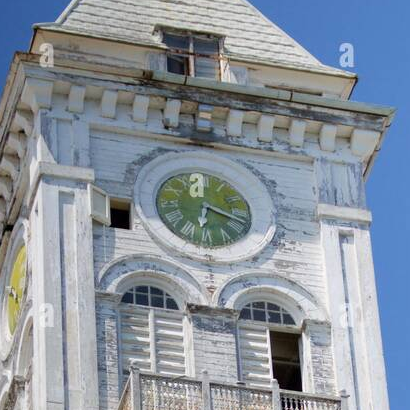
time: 6:18
